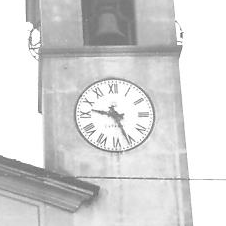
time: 9:26
